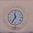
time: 11:35
